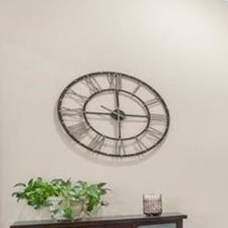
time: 9:00
